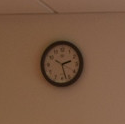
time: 2:27
